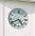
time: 4:40
